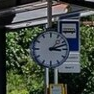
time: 3:11
